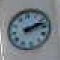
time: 2:12
